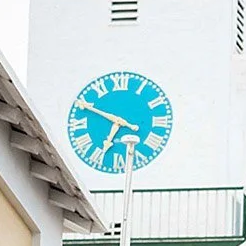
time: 6:49
